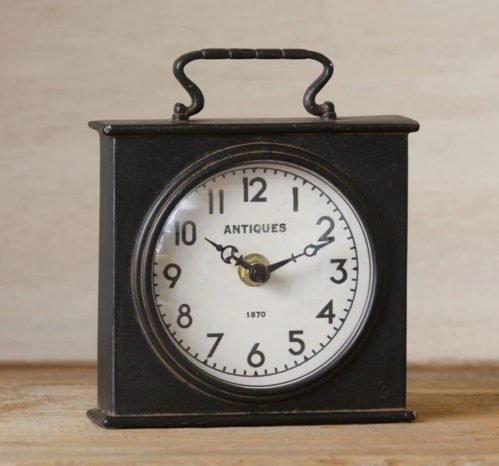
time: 10:11
